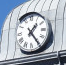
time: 1:24
